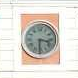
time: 3:30
